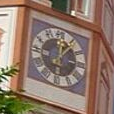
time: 12:06
